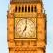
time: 7:01
